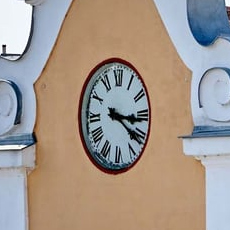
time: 3:21
